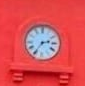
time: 2:35
